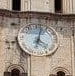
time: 4:02
